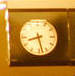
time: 8:27
